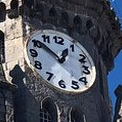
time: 12:51
